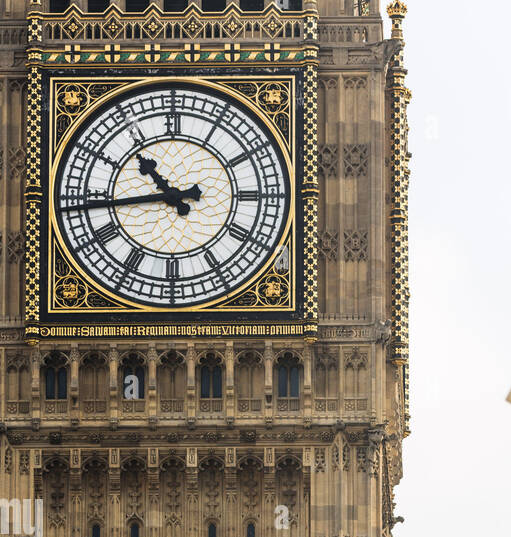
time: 10:43
